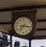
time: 7:15
